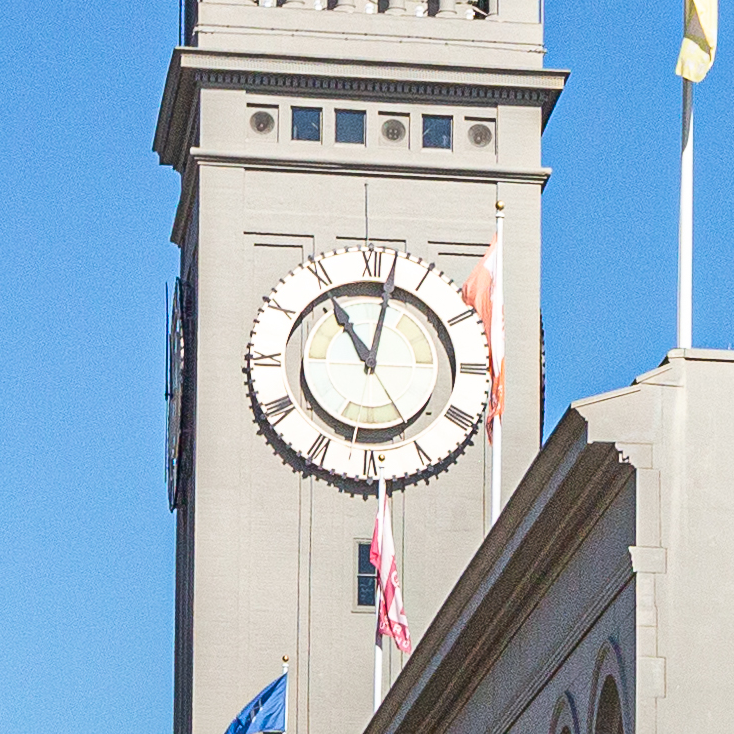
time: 11:02
